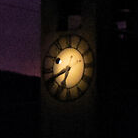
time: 6:41
